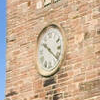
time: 10:21
